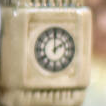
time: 2:00
